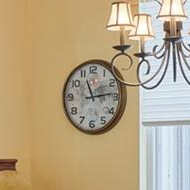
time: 11:13
